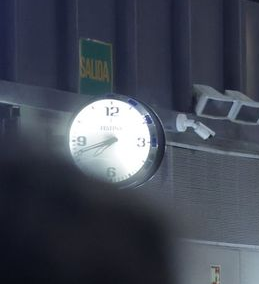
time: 7:41
